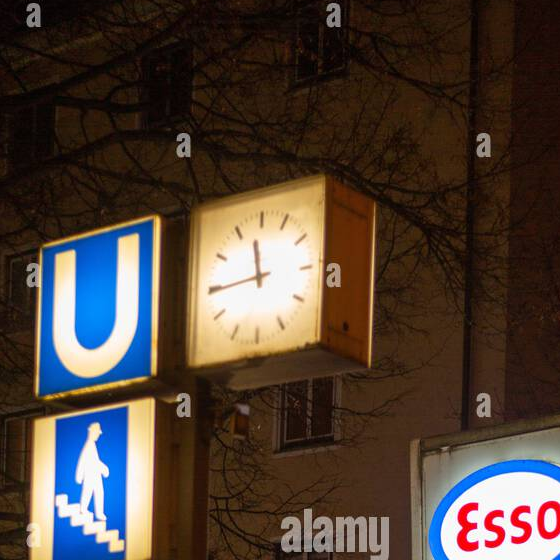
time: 11:44
